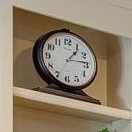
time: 1:13
